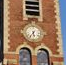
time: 5:35
